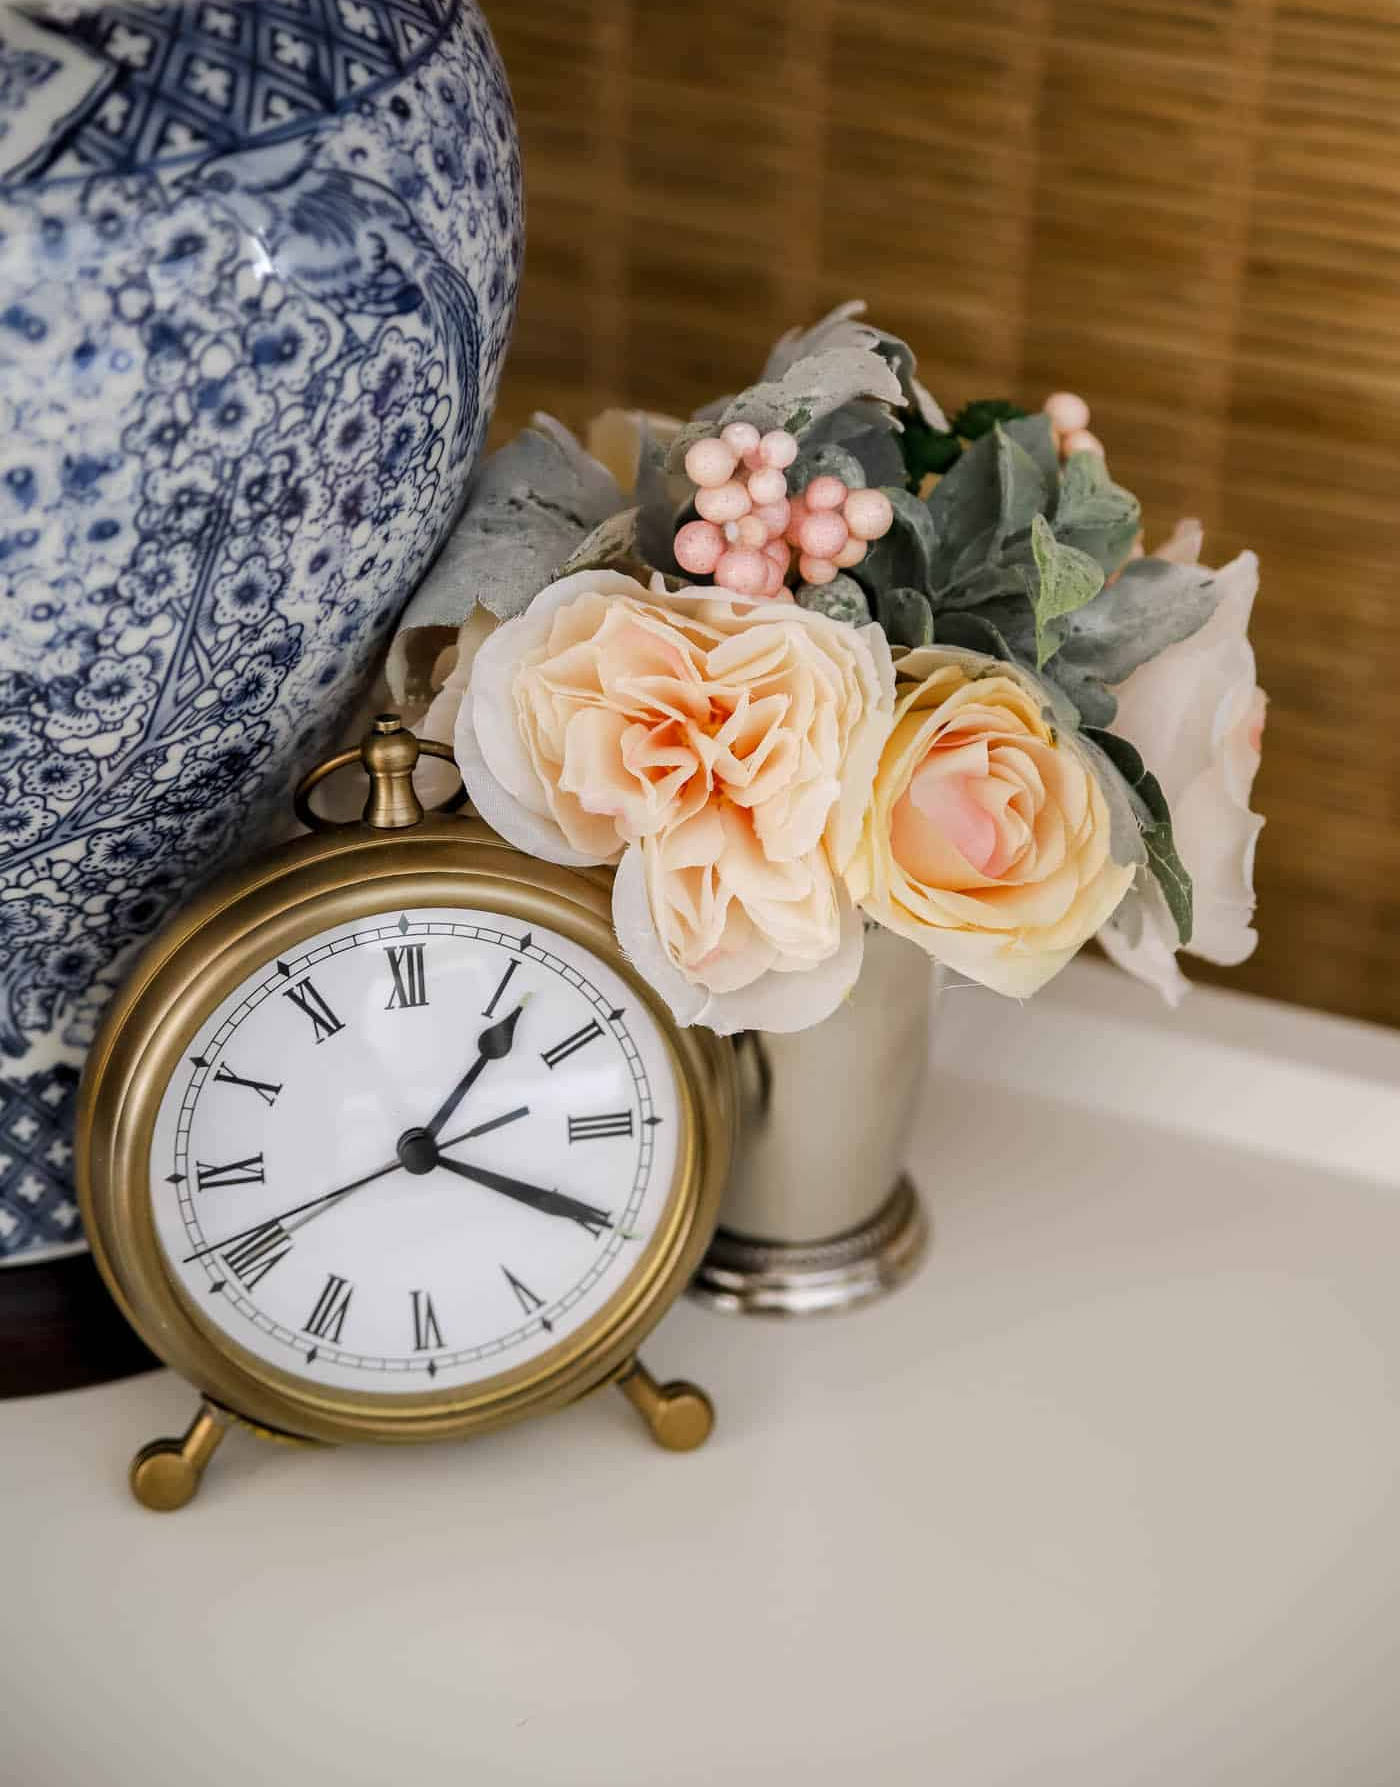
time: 1:19
